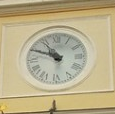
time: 10:49
